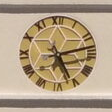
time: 5:13
